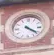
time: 4:21
